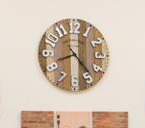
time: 8:23
